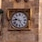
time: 9:26
